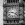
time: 9:20
